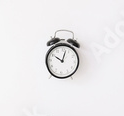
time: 10:02
